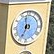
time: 6:58
